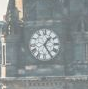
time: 1:24
